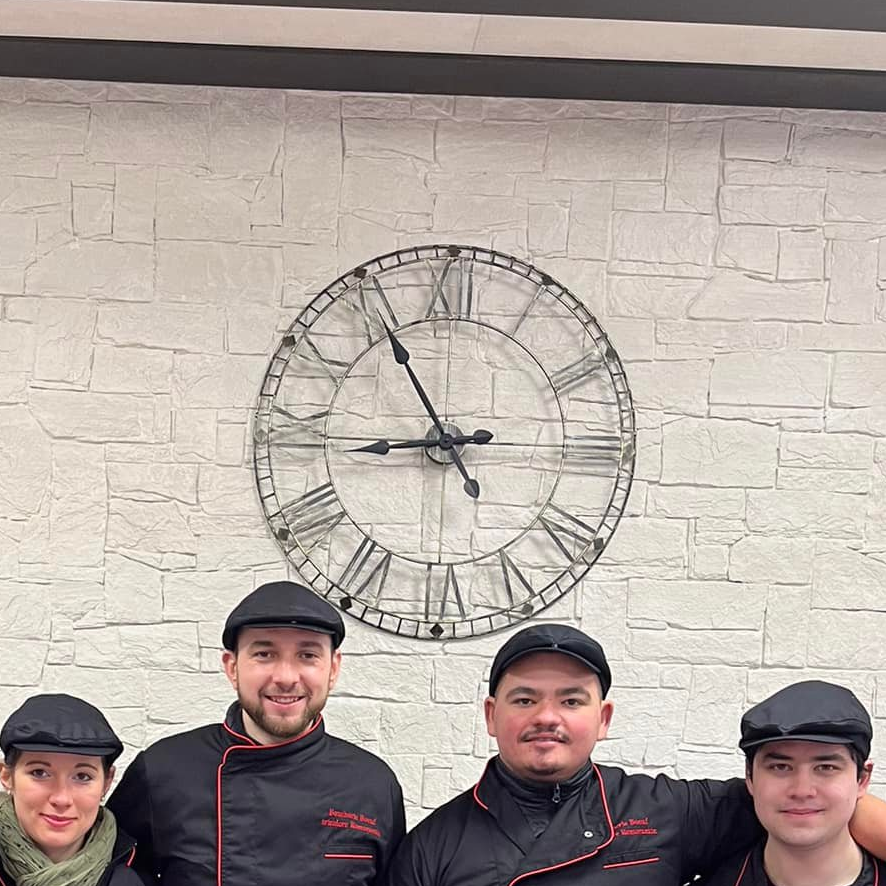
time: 8:54
